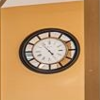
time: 4:53
